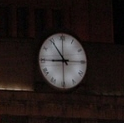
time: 8:54
